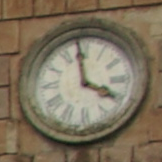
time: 3:58
